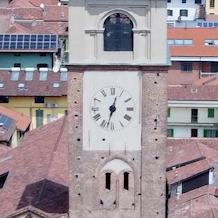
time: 12:32
